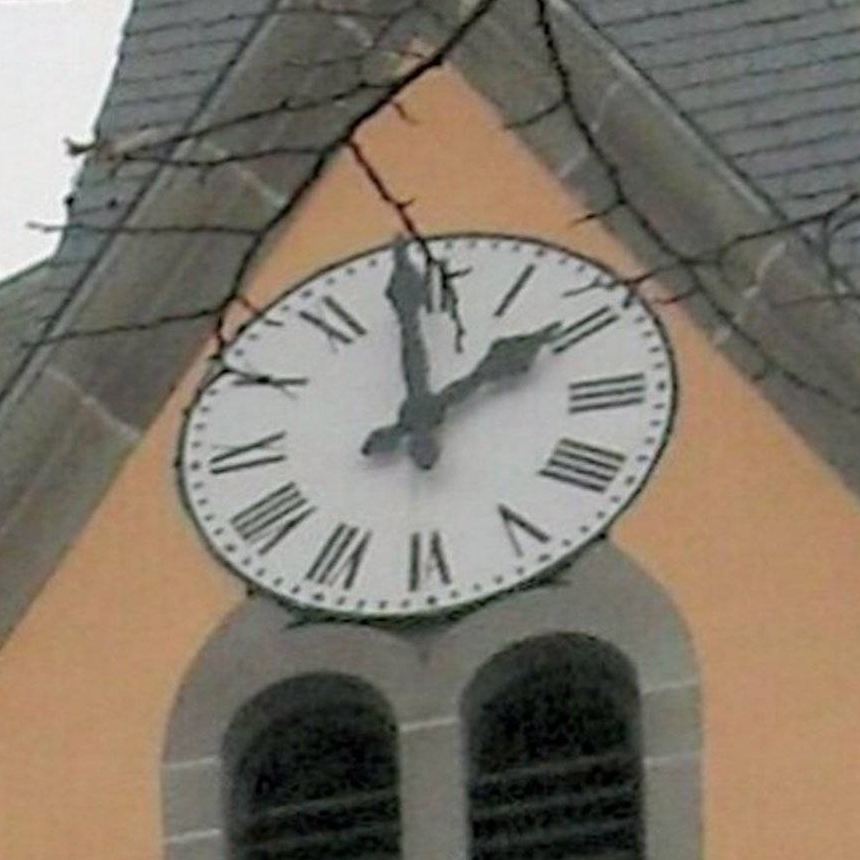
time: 1:59
